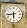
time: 5:43
